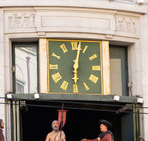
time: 6:02
